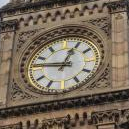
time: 12:46
